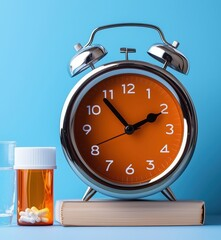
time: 1:53
